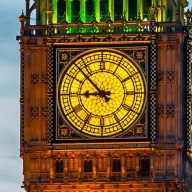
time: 8:52
